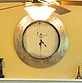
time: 4:29
